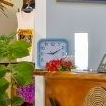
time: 9:10
